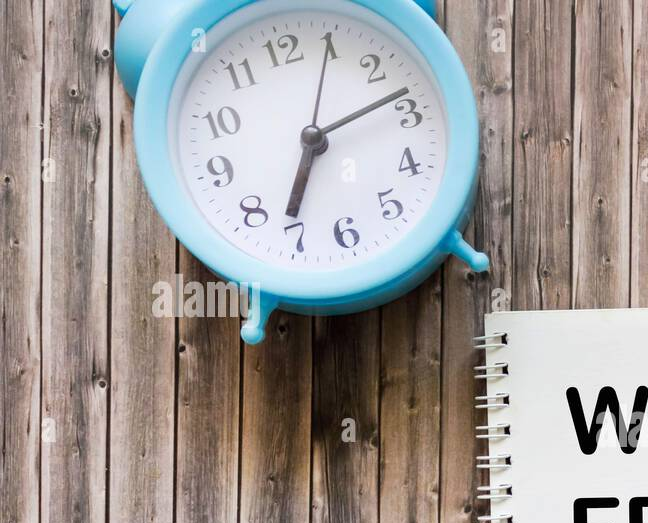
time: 7:13
